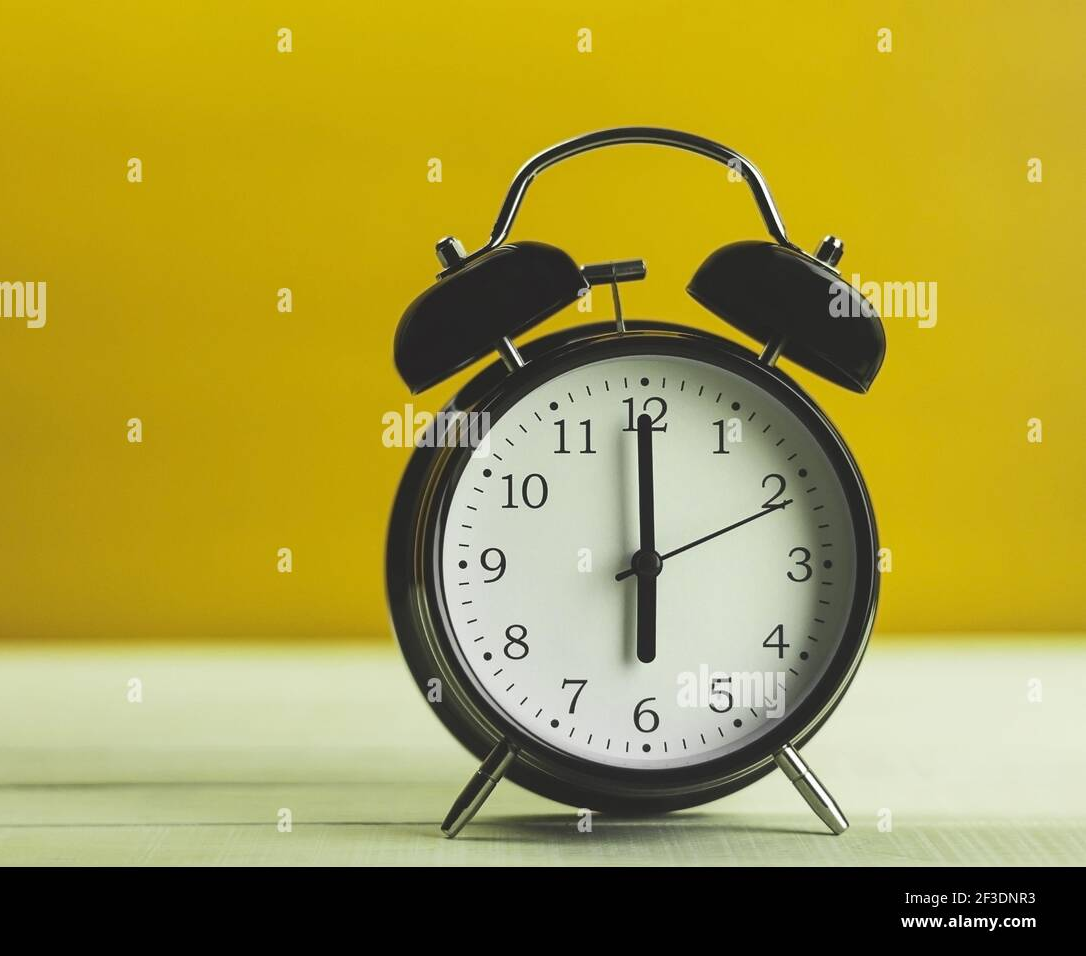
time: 6:00
